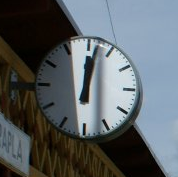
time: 12:01
